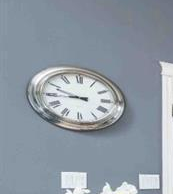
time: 8:48
